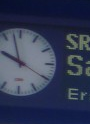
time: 9:57
